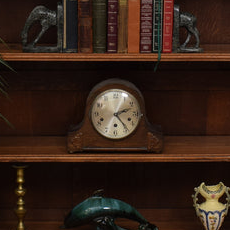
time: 2:24
